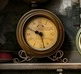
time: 5:49
